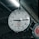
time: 9:14
